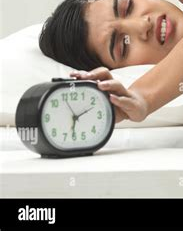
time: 6:10
